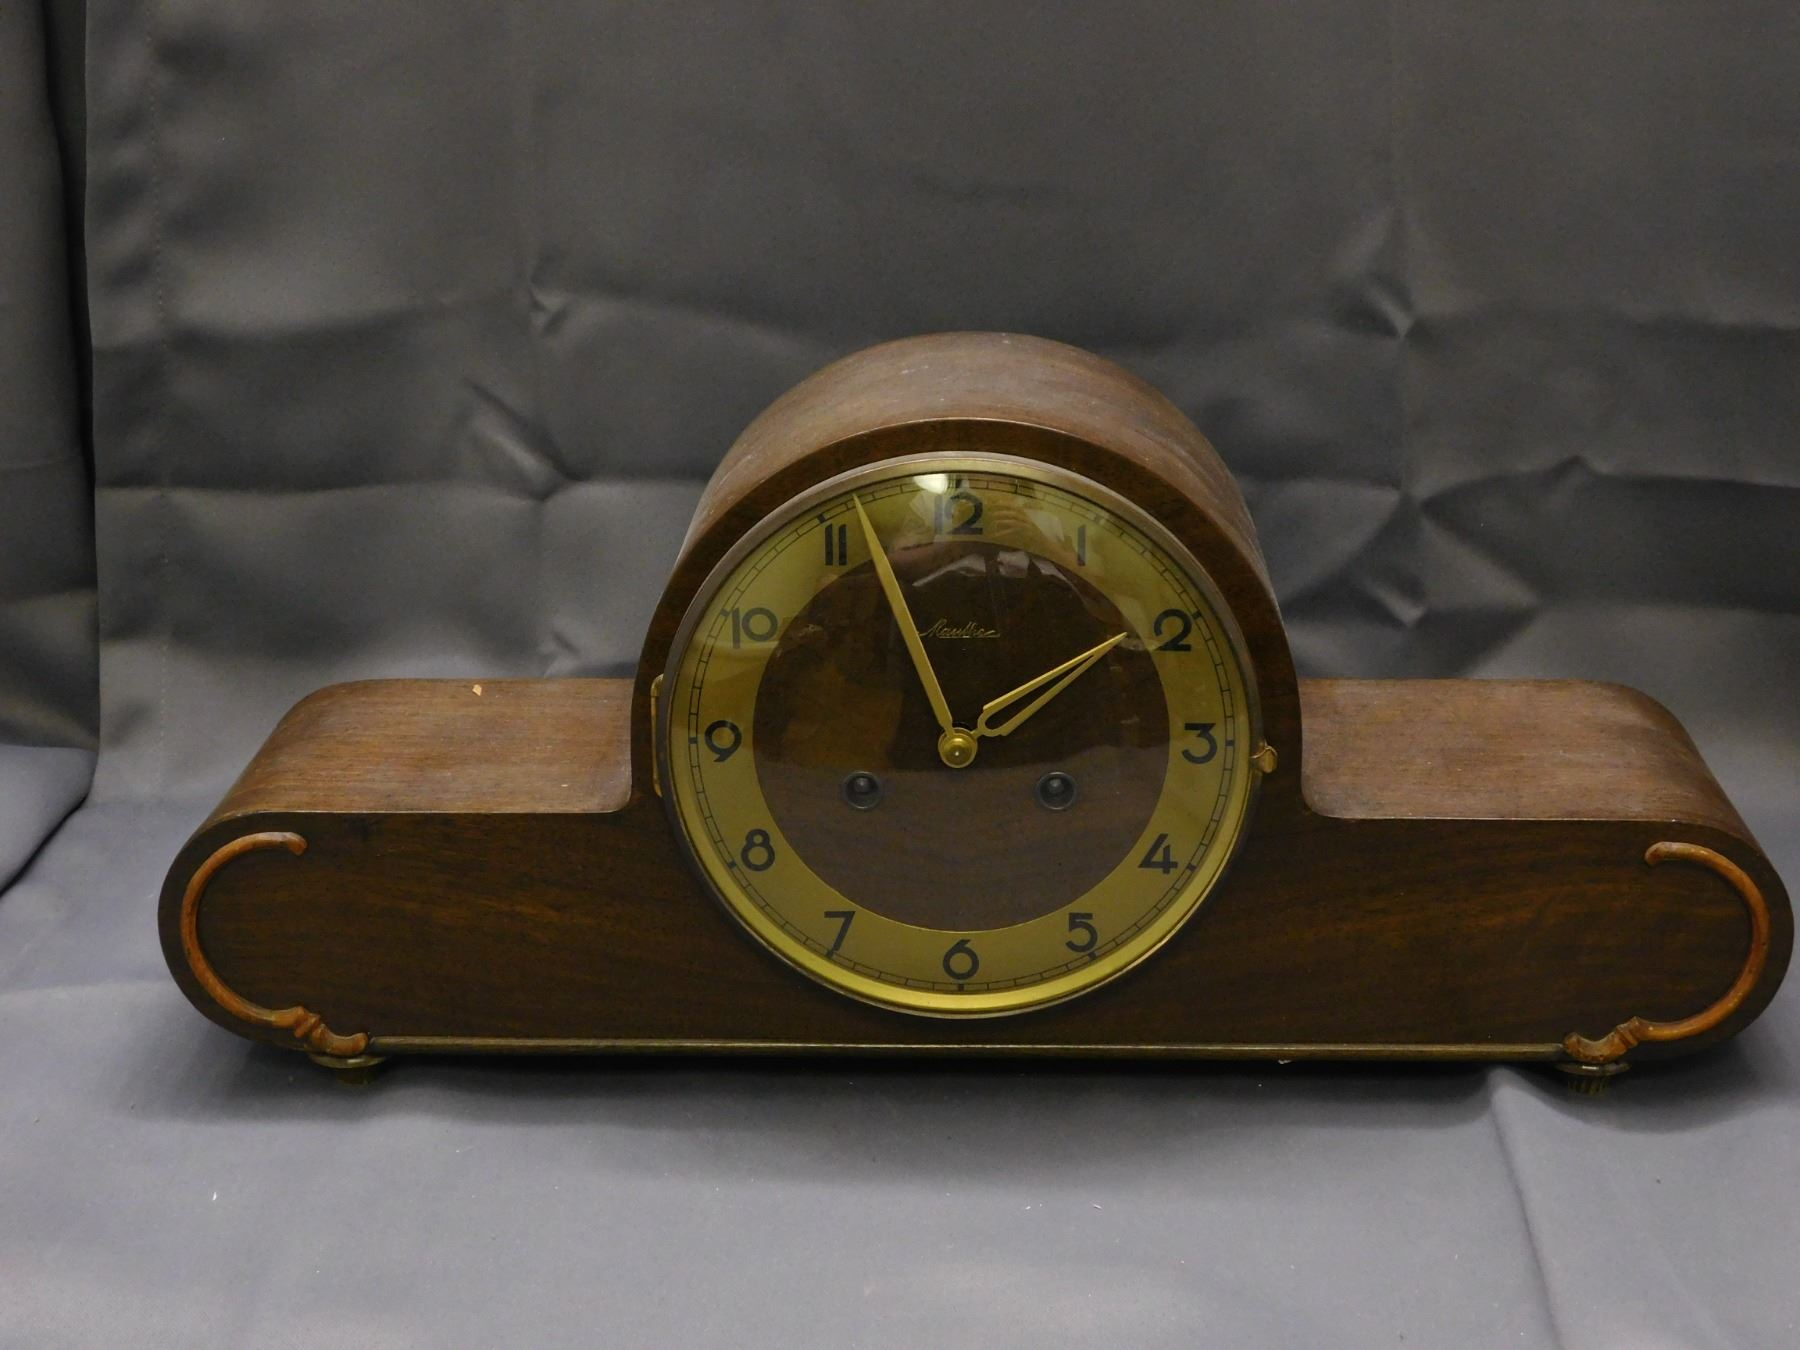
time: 1:56
